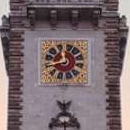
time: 11:42
